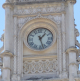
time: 1:26
